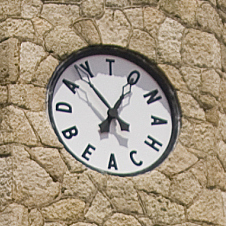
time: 6:53
